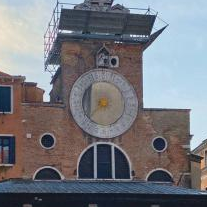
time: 8:38
